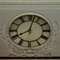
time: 8:02
